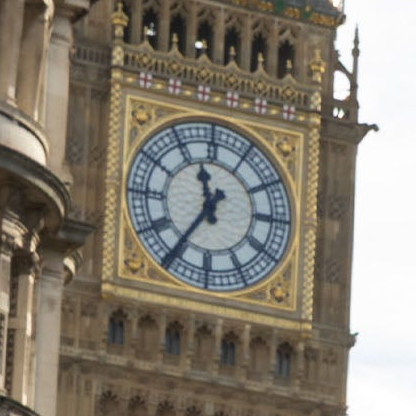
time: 11:35
